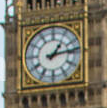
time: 1:13
